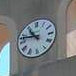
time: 10:47
